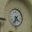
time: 4:34
